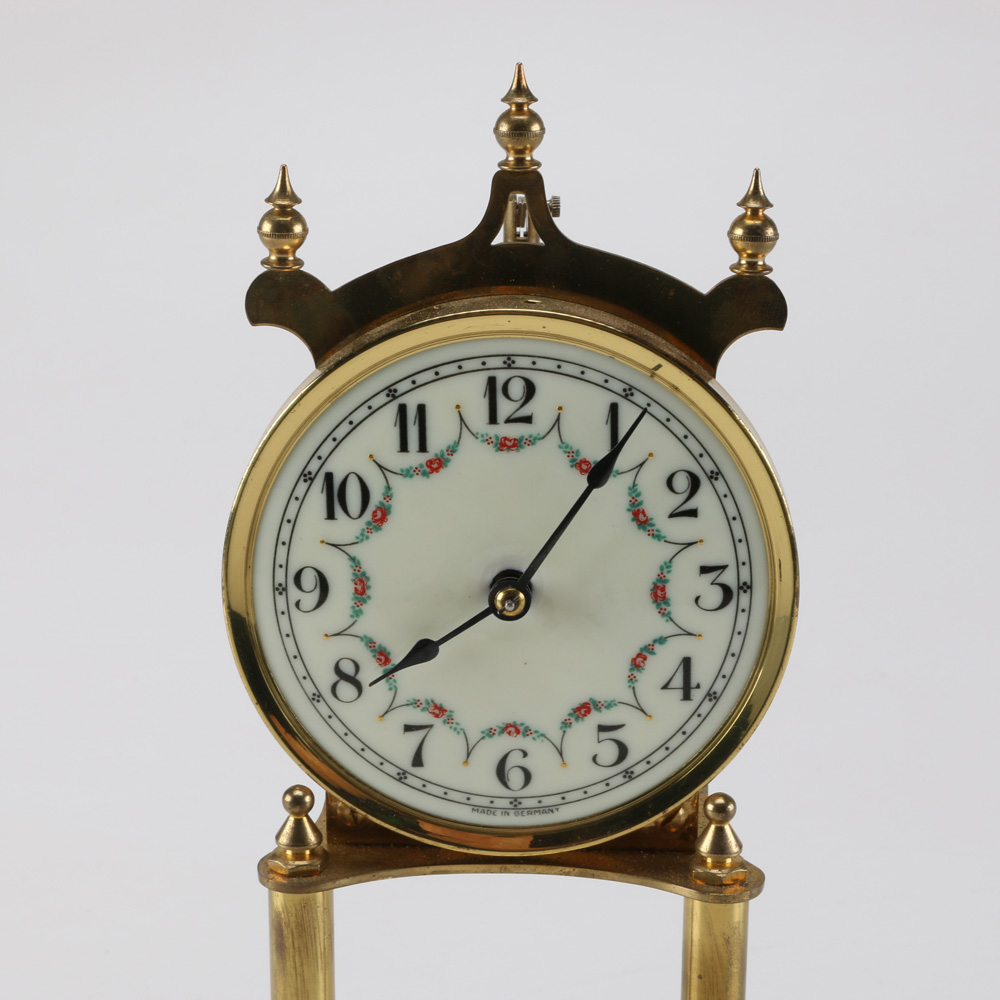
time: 8:06
